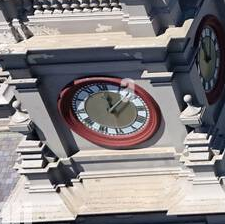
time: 12:07
